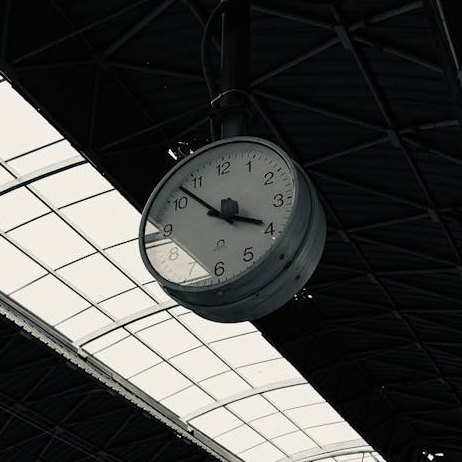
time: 3:52
